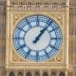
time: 1:06
